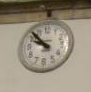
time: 9:53
